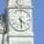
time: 4:29
